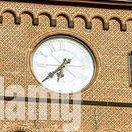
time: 6:38
